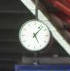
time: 5:06
